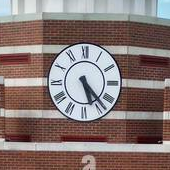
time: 5:23
